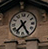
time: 7:25
